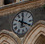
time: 12:19
